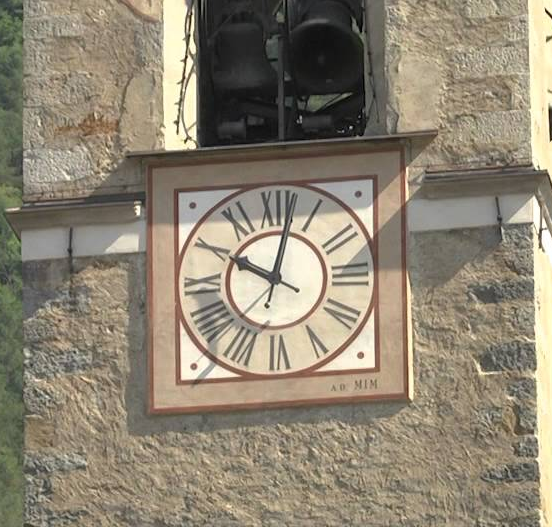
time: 10:02
